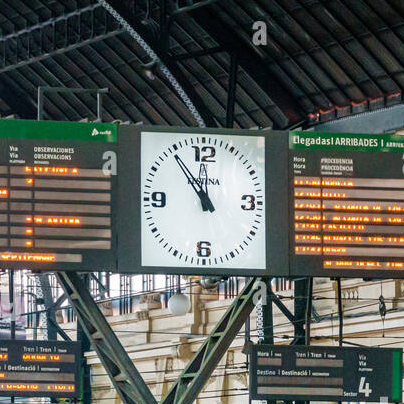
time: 11:54
